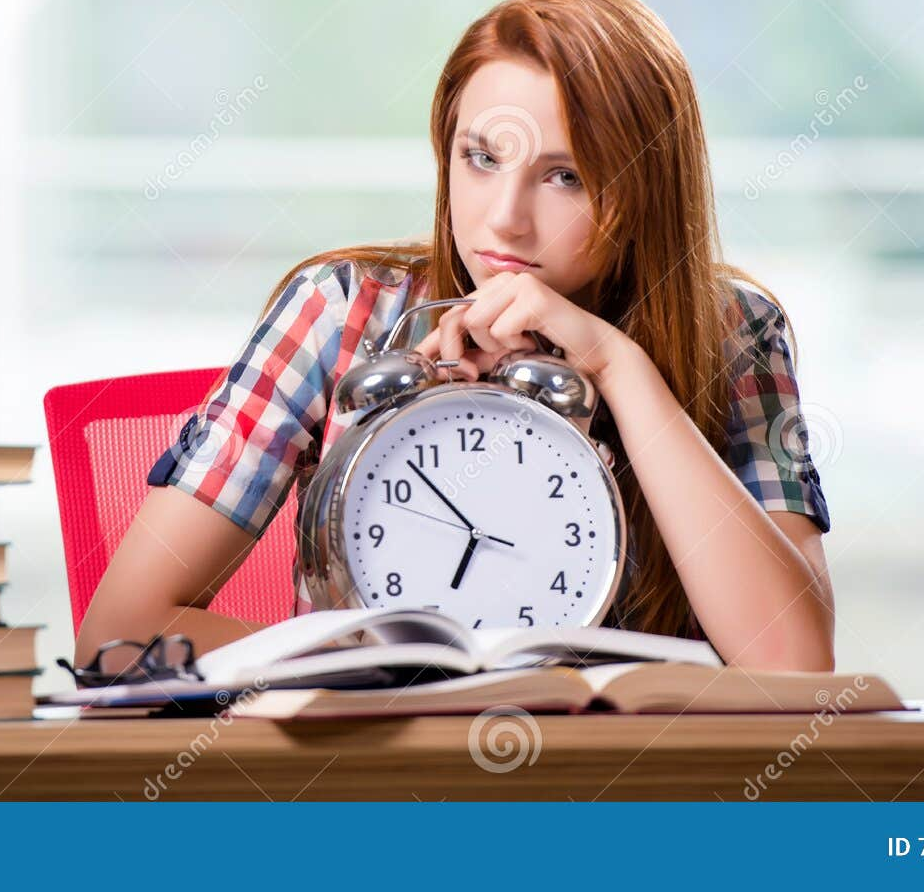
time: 6:53
